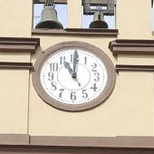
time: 11:00
